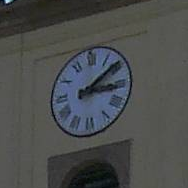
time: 3:08
